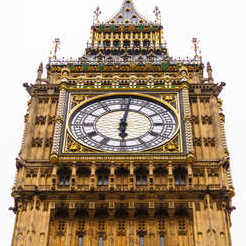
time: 6:01
